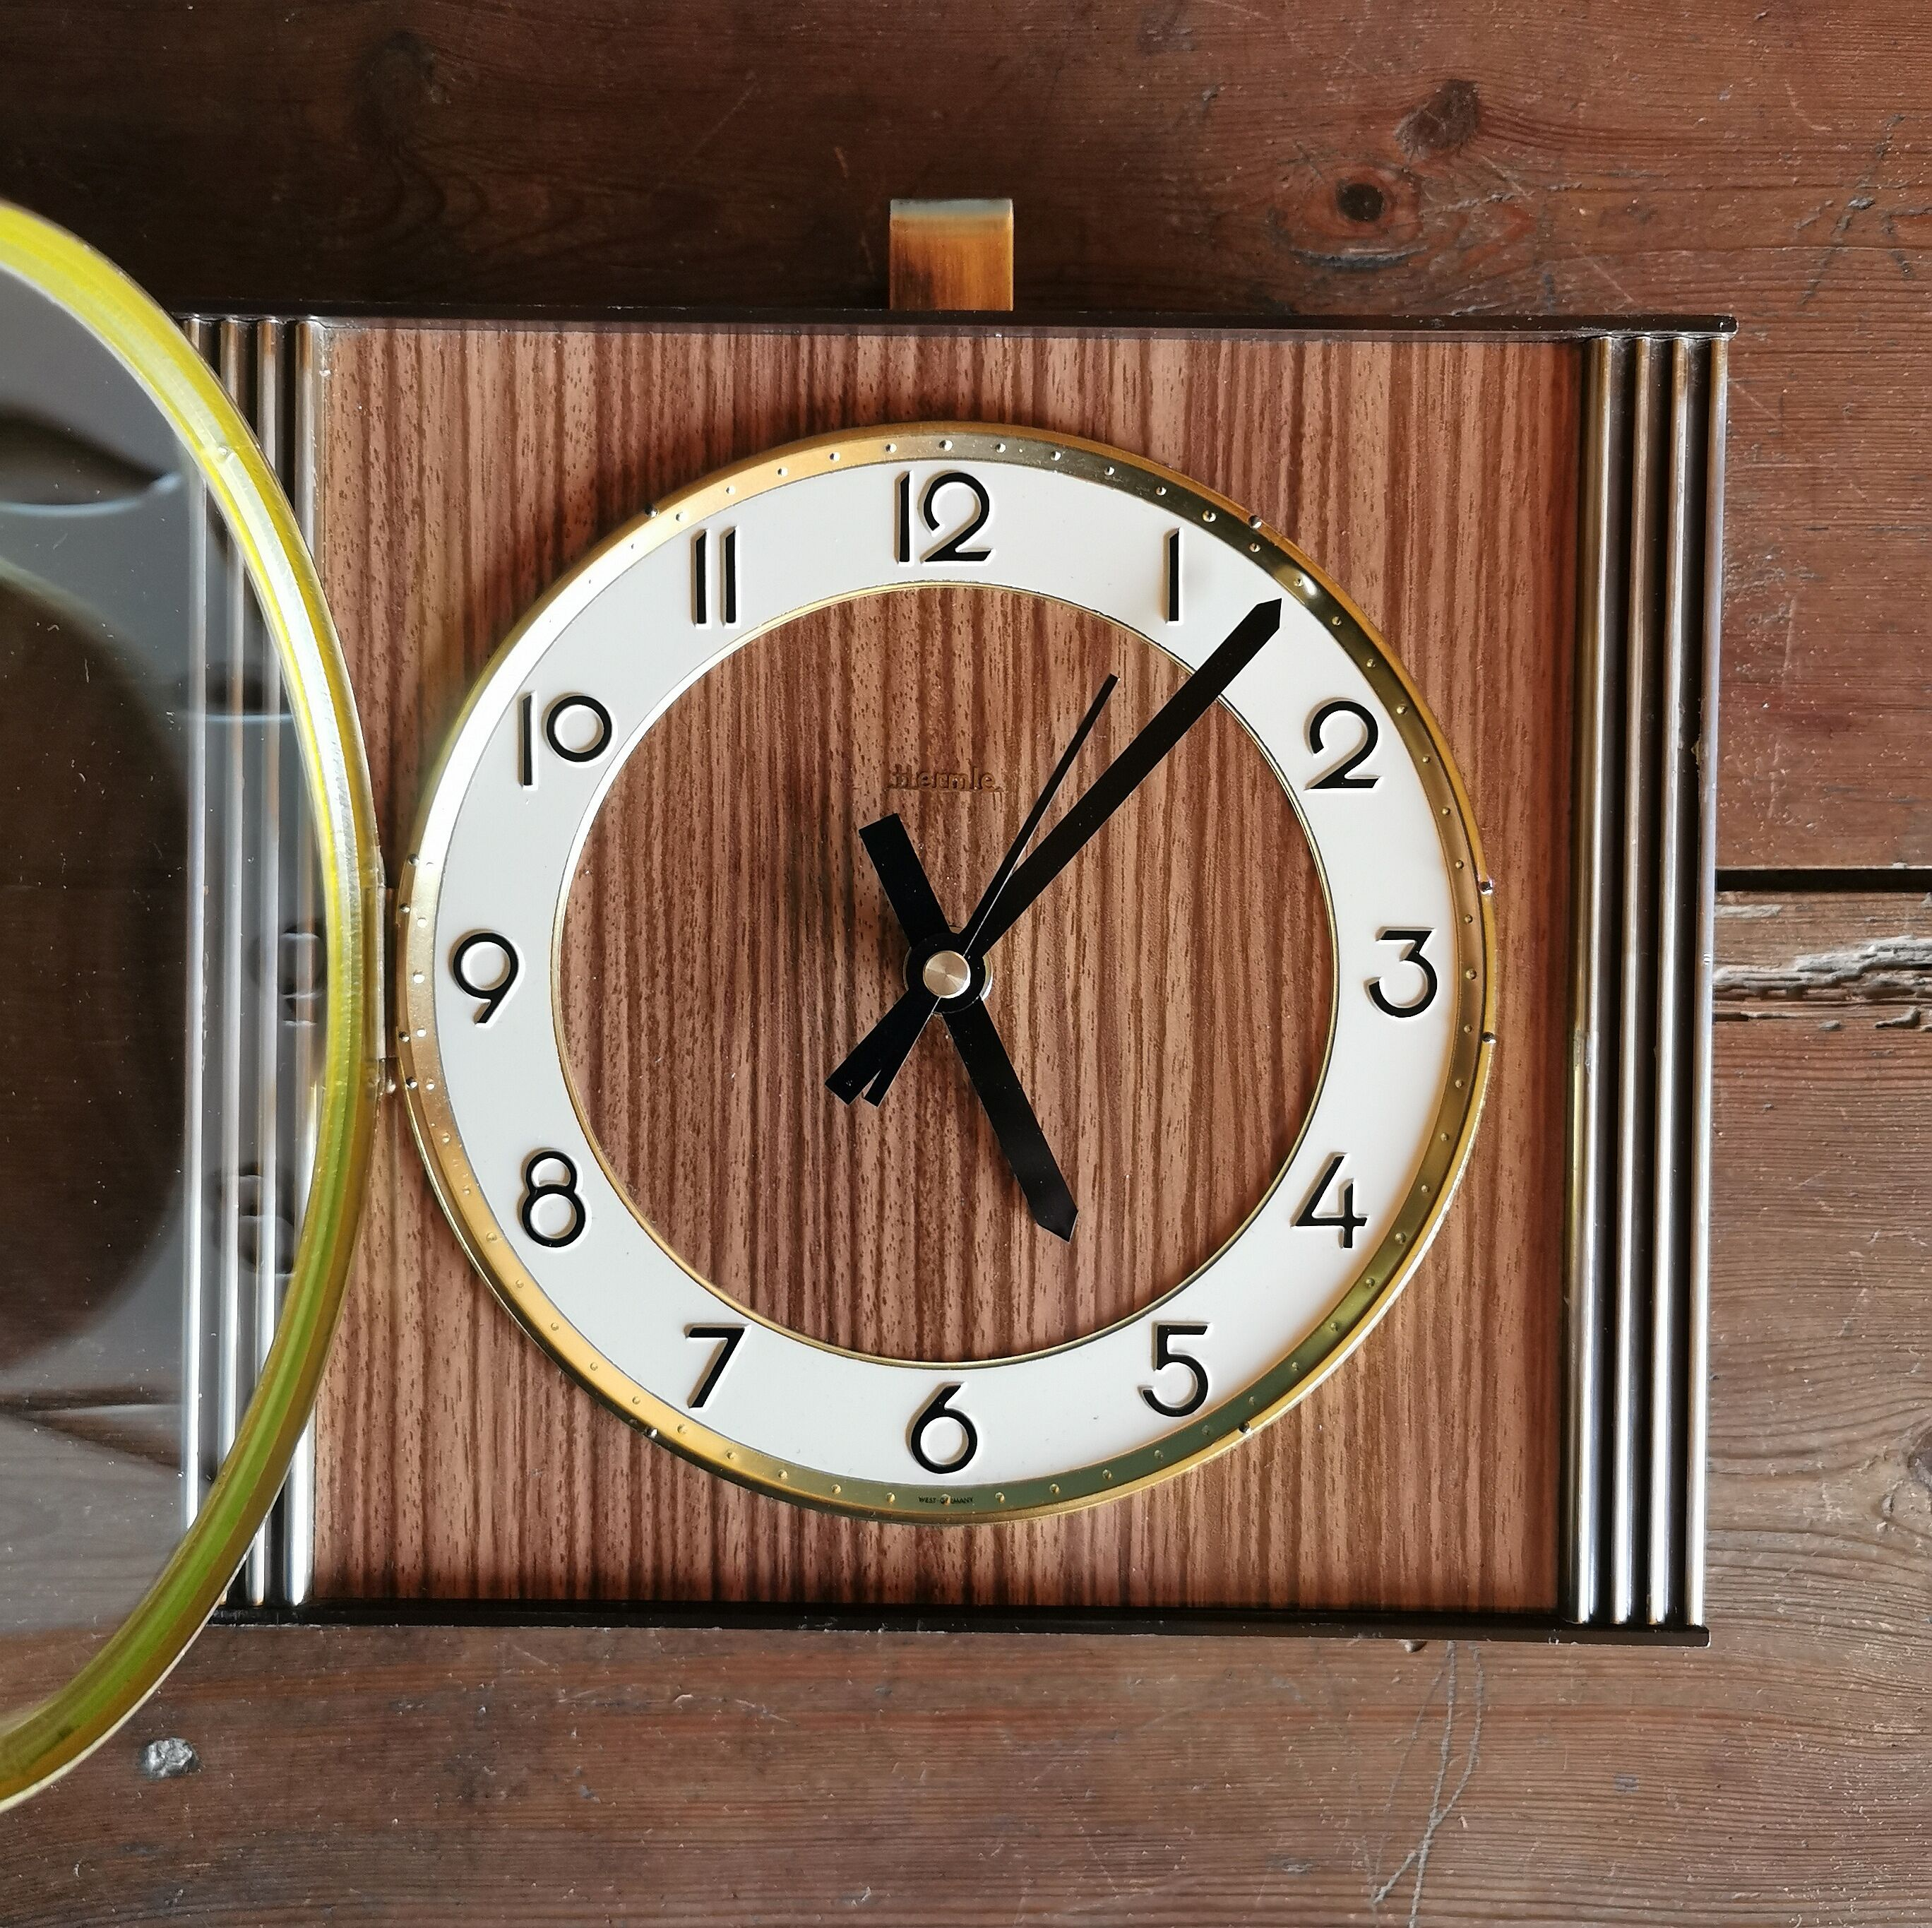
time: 5:06
